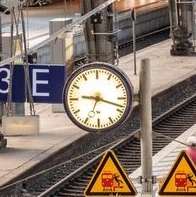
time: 9:18
